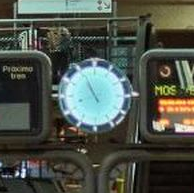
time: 10:56
